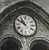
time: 10:50
